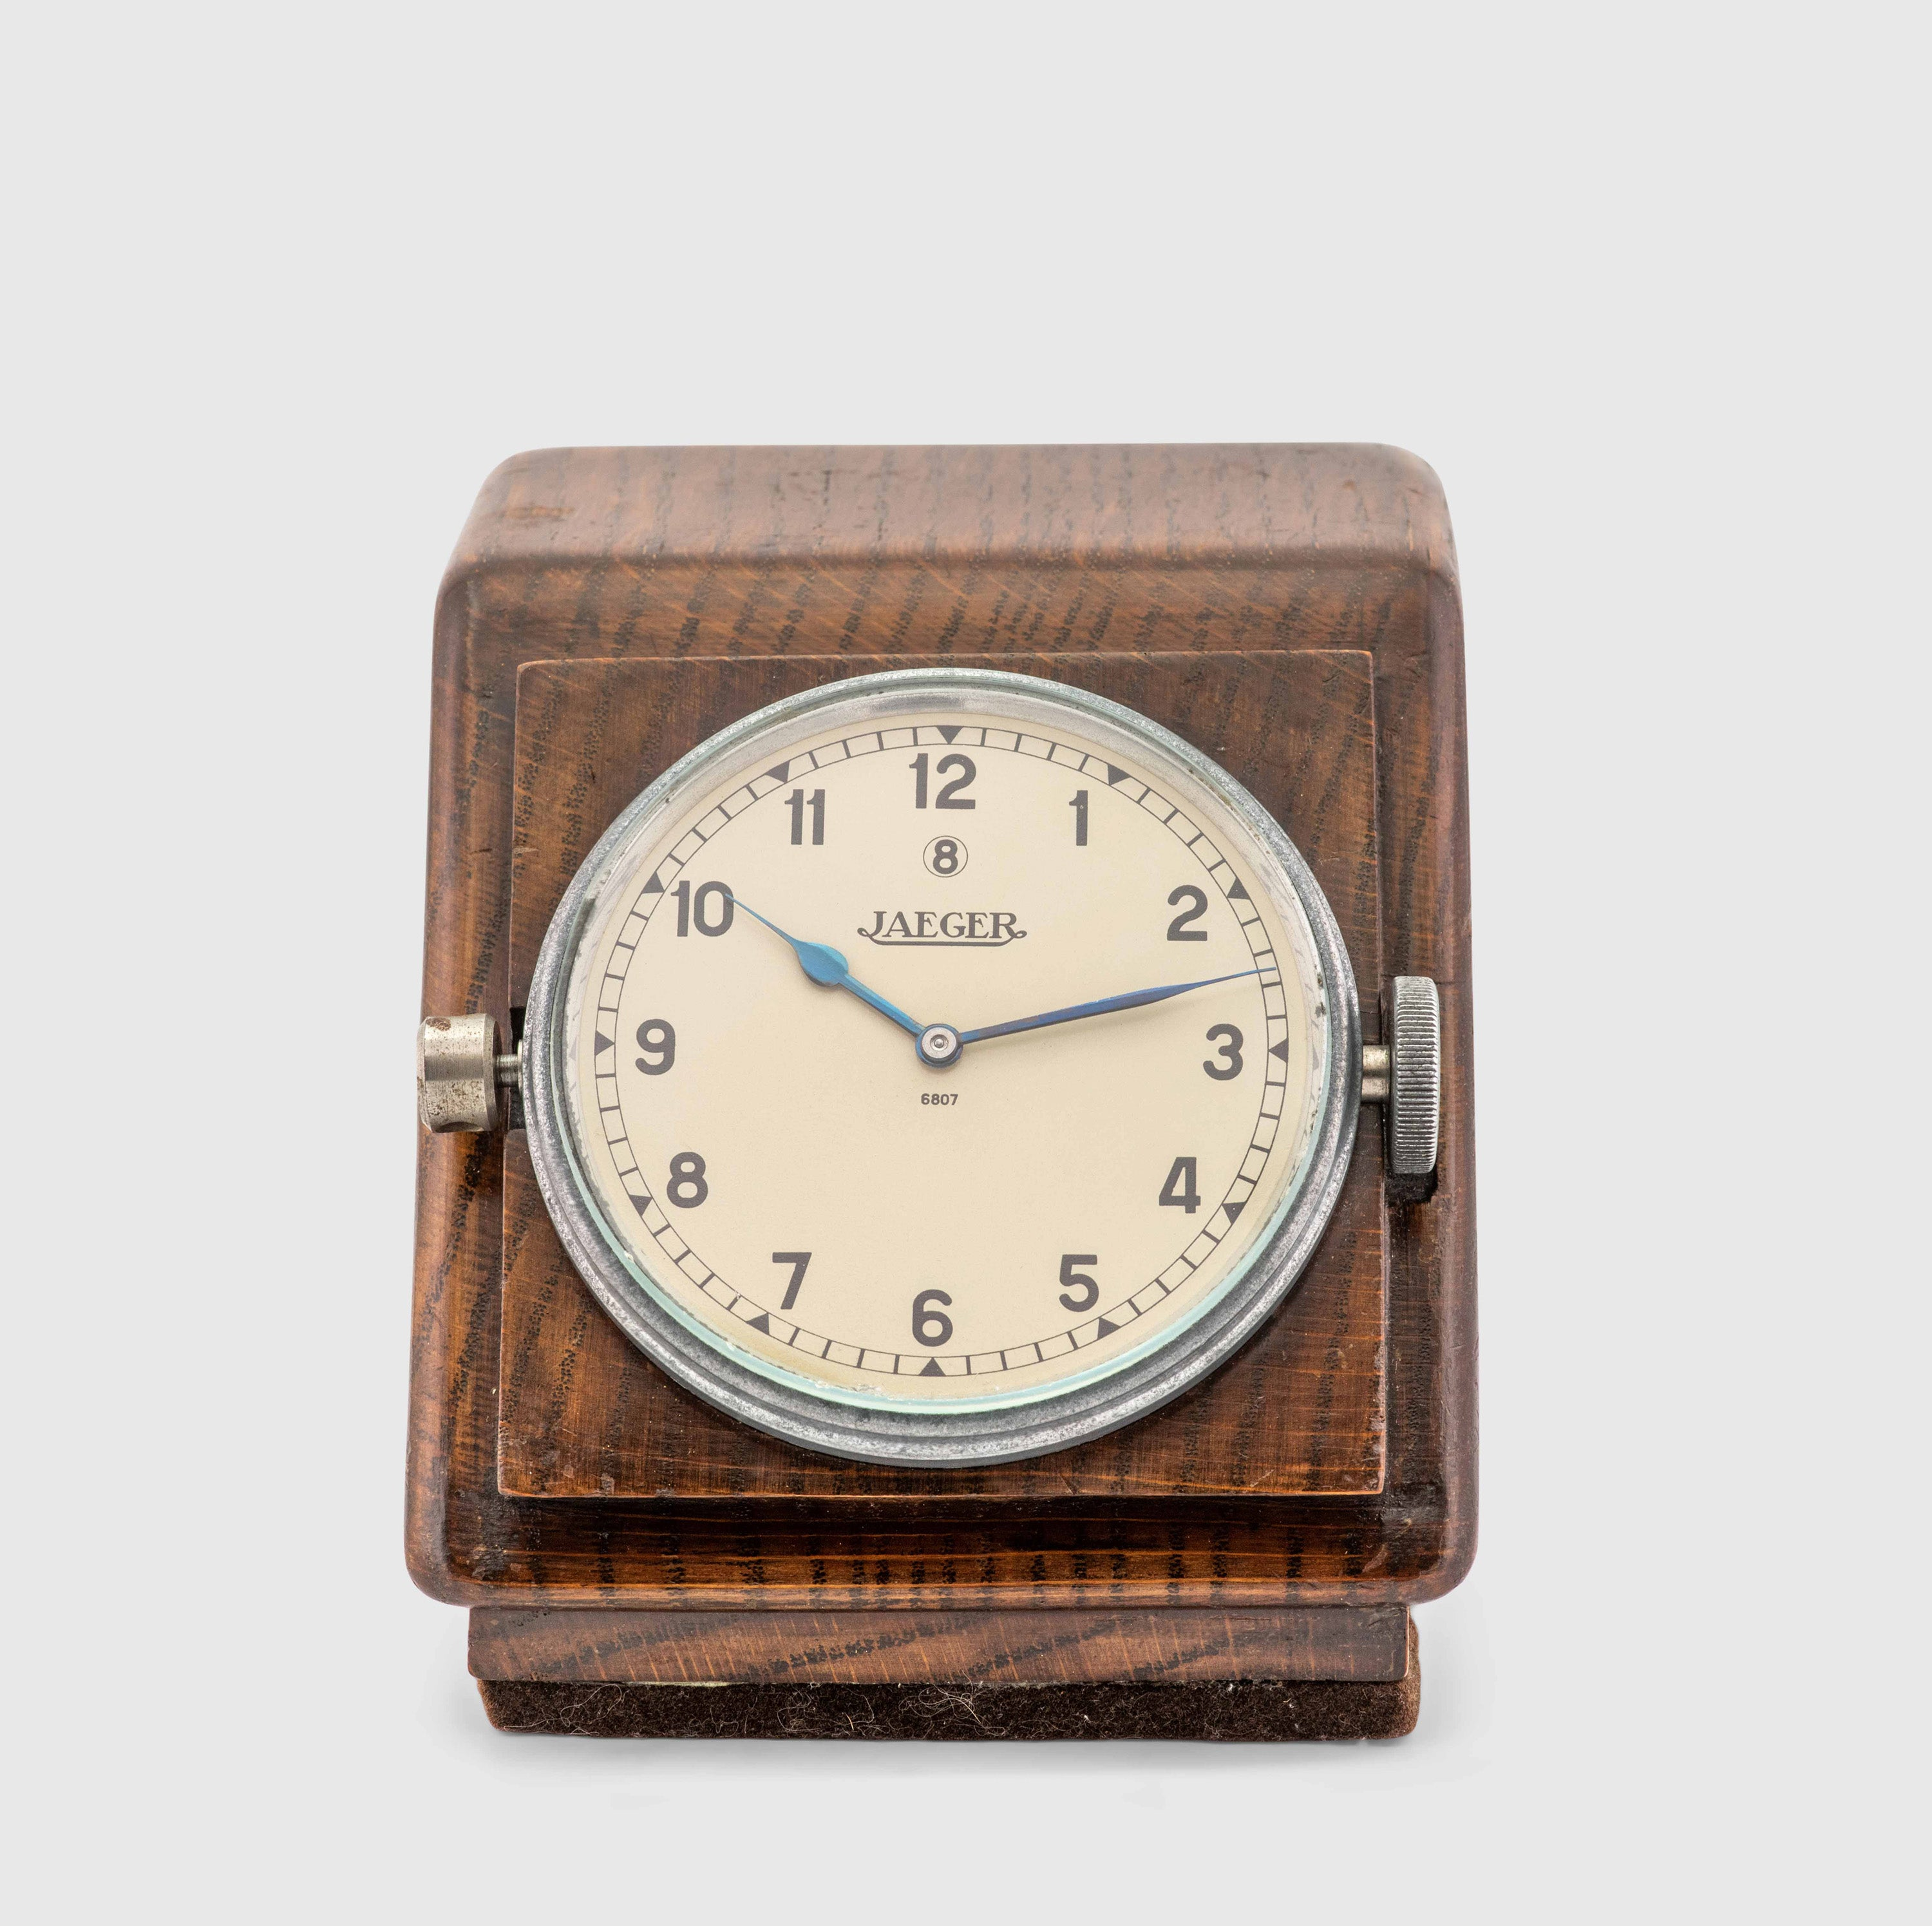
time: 10:12
